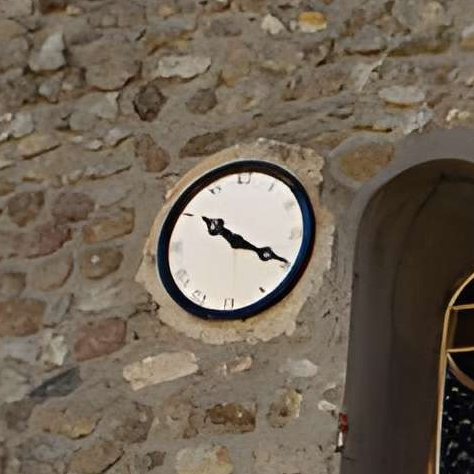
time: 10:19
